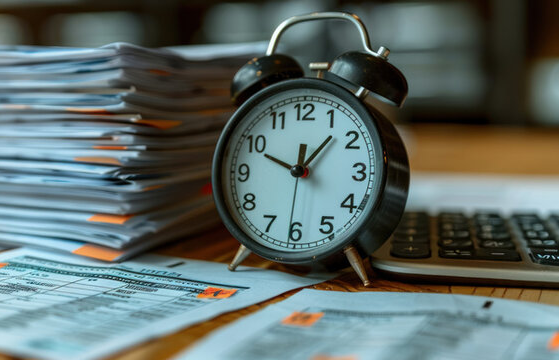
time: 12:07
